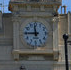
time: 11:45
